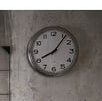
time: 8:06
